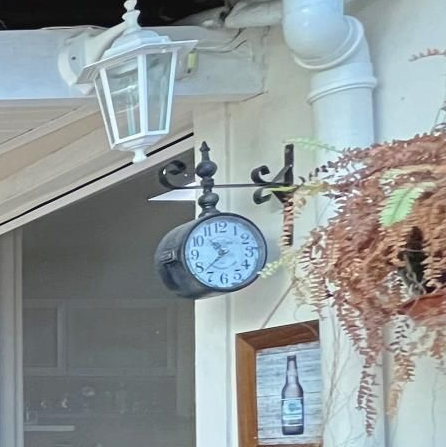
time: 10:37
